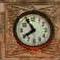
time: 7:54
